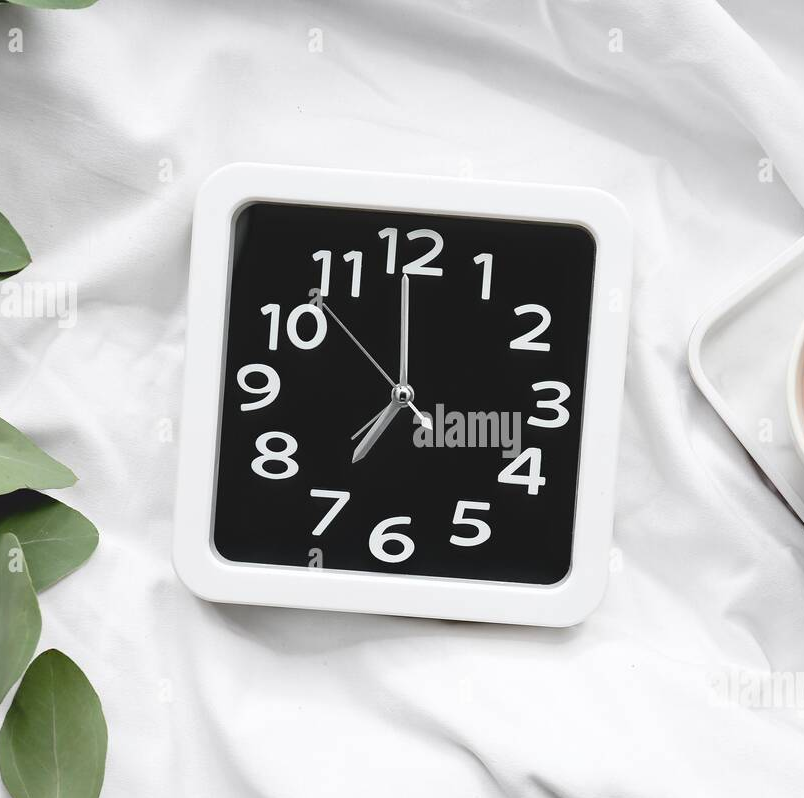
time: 6:59
